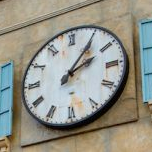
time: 2:06
